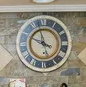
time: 3:57
